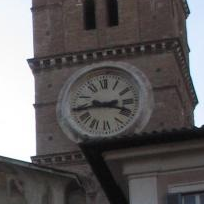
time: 3:43
